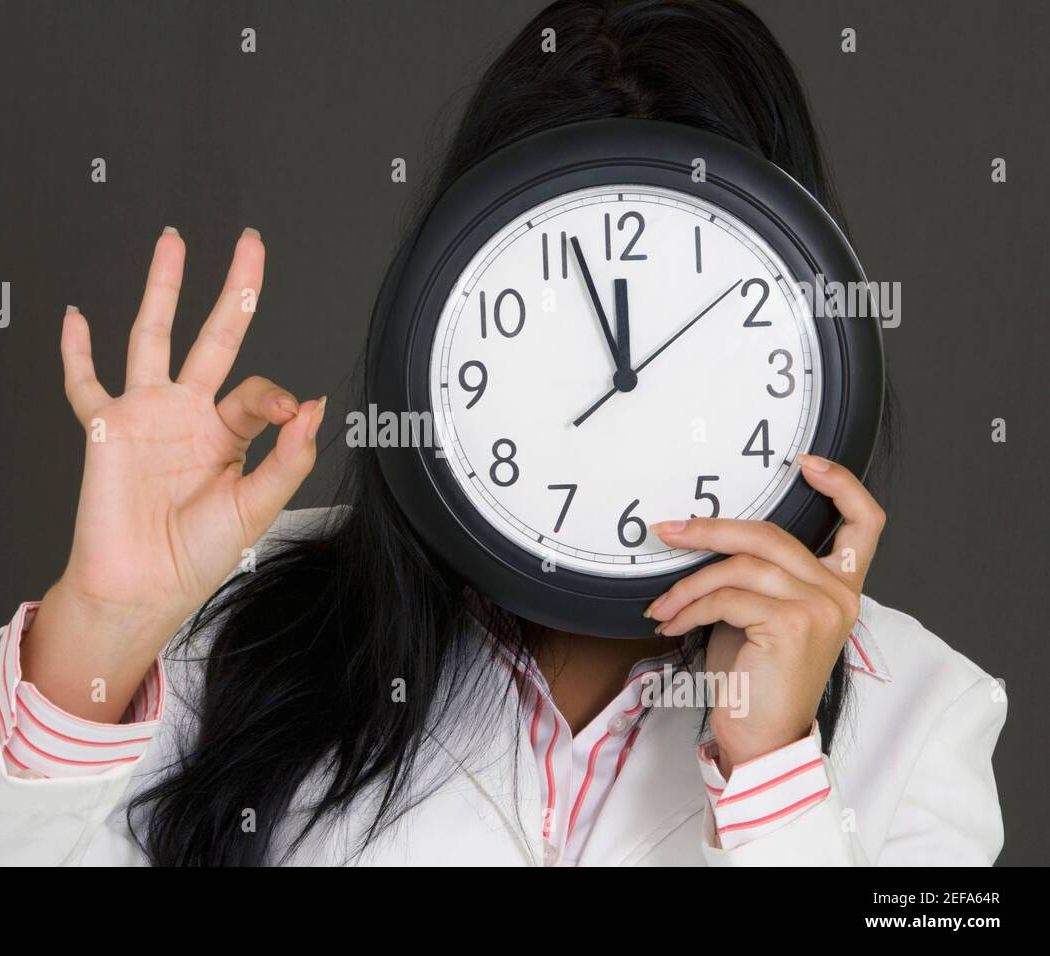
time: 11:56
